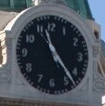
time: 11:23
